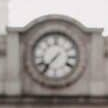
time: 7:36
